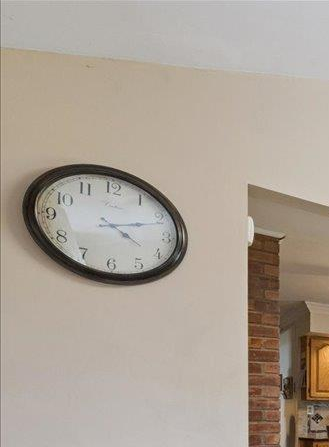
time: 4:12
